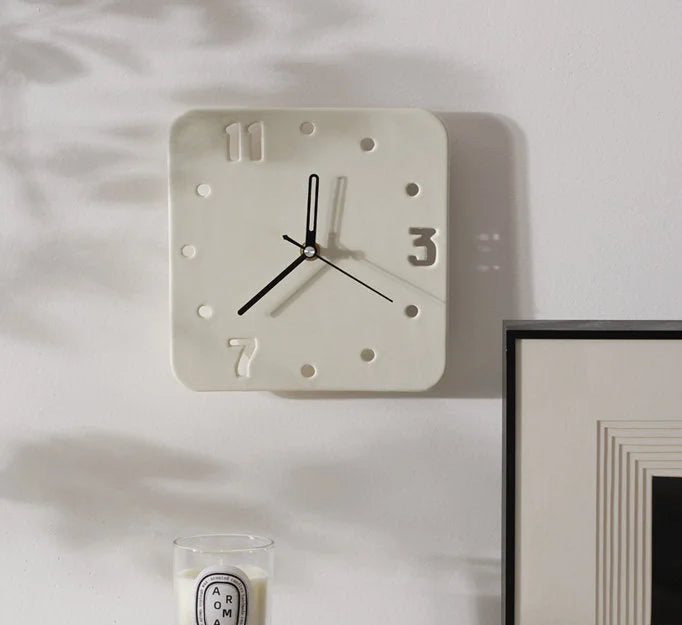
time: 12:38
